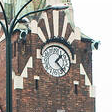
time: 1:22
